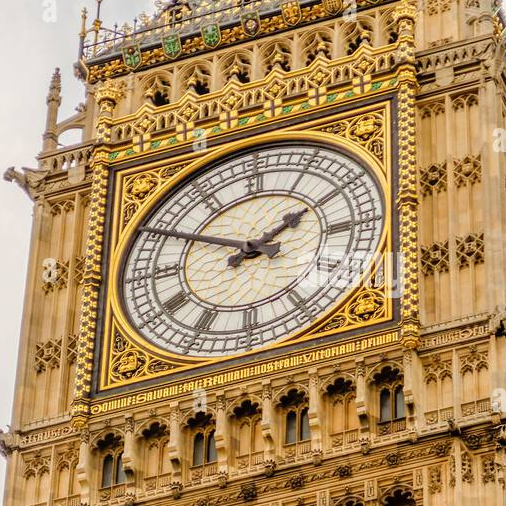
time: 1:50
